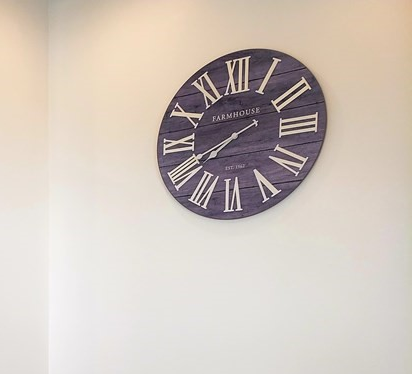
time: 7:40
